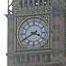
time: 3:40
